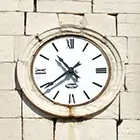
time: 10:39
